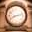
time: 8:12
